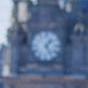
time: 1:24
